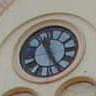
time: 11:25
